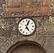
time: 5:04
